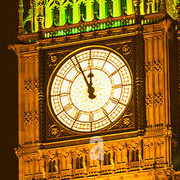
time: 11:55
